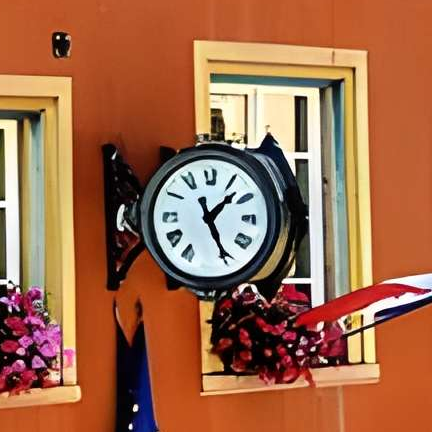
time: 1:25
